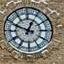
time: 12:49
